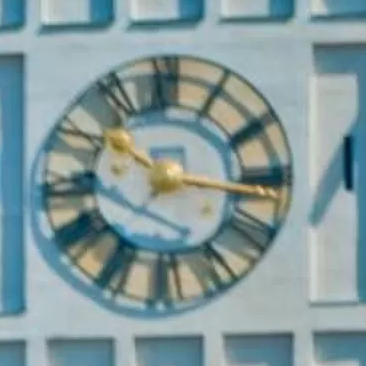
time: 10:15
